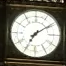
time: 7:09
